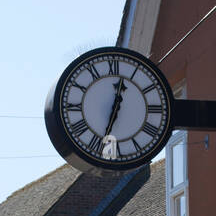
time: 12:33
